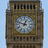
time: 12:48
